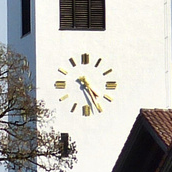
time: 4:26
